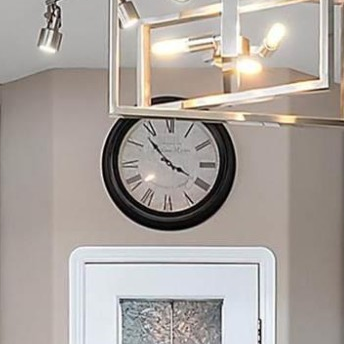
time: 3:53
